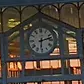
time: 6:12
